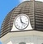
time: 3:58
